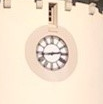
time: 2:43
